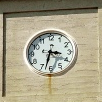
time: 3:32
